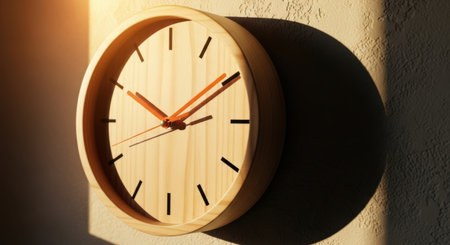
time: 10:10
